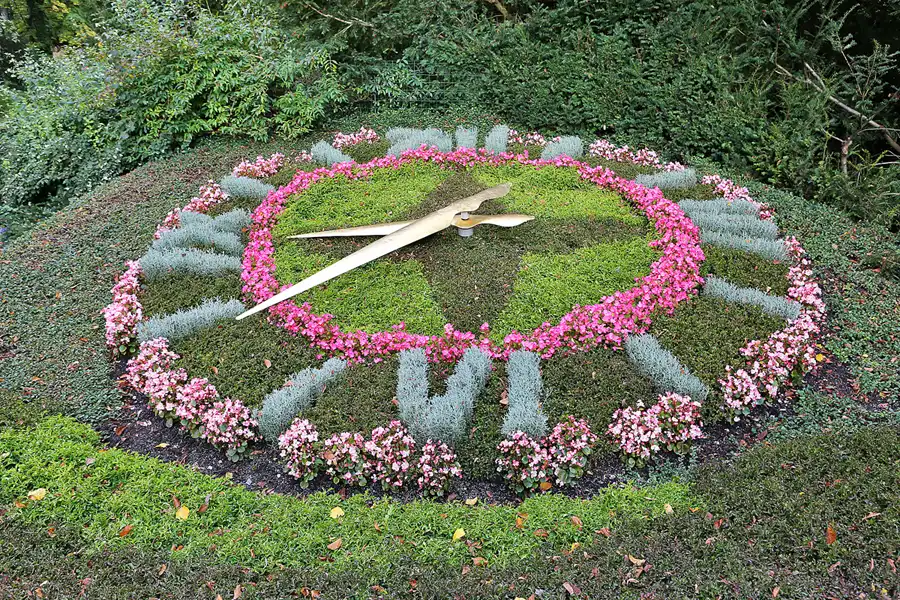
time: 8:38
